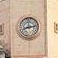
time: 8:12
